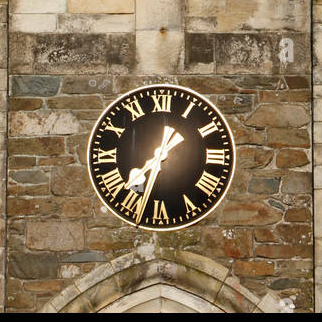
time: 7:32
